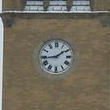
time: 1:43
